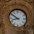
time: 8:51
